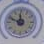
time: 11:48
